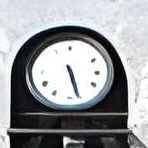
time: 5:26
